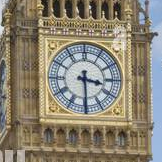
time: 3:29
